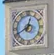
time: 12:40
